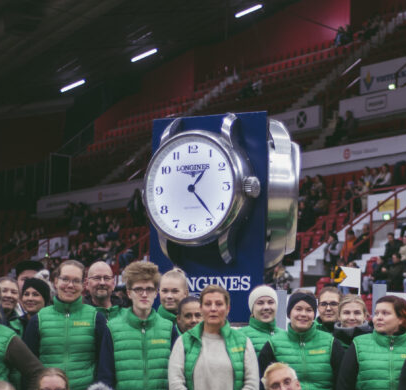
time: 1:22
